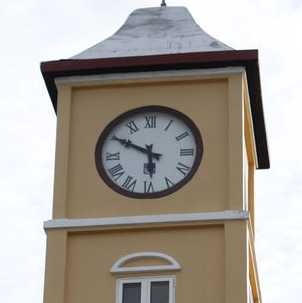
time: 5:49
